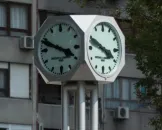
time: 3:48
